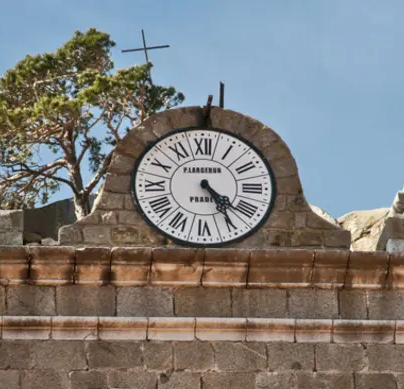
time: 4:24
